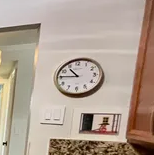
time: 10:45
